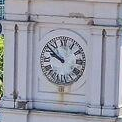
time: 9:51
